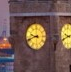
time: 9:42
